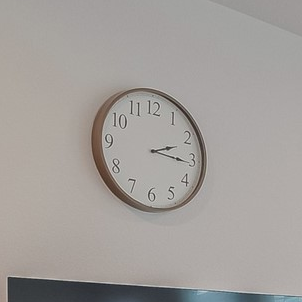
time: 2:15
